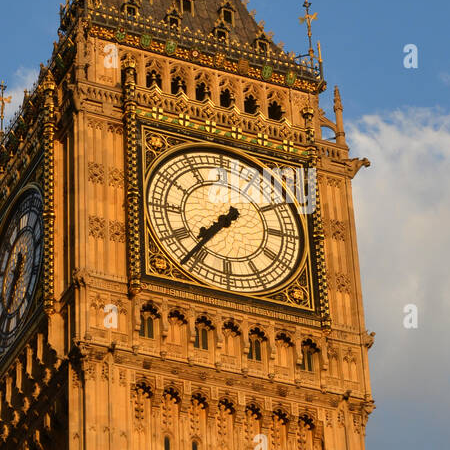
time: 7:36
